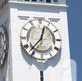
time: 12:37
